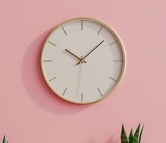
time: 10:07
